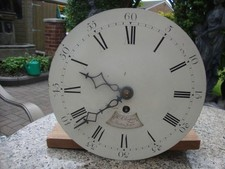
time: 9:38
